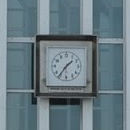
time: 1:36
